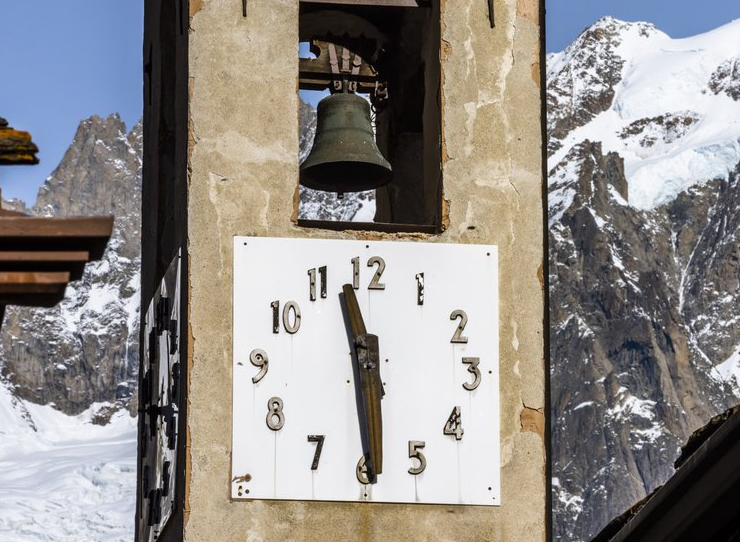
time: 11:29
